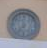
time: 11:36
